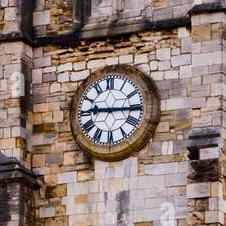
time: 9:15
